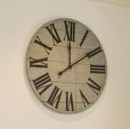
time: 12:09
